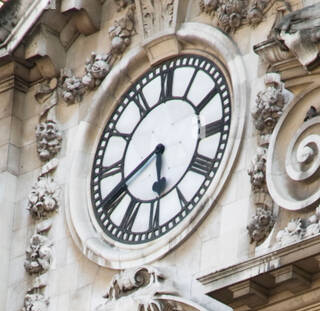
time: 5:40
